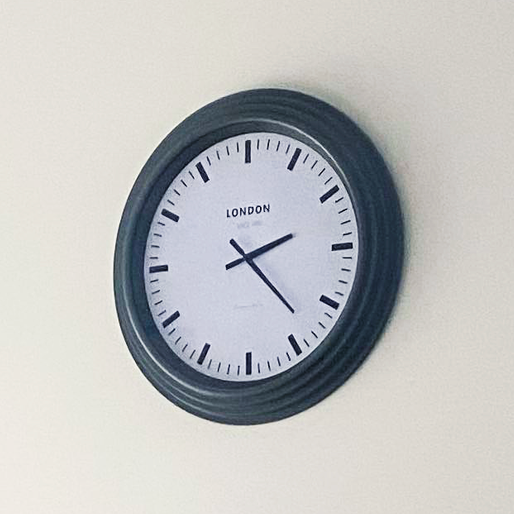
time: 2:22
